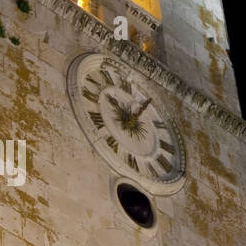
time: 10:07
